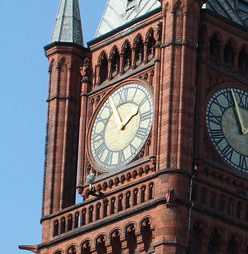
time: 1:56
